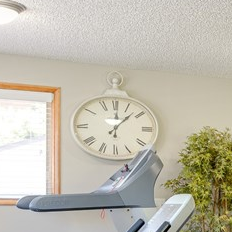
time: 12:07
